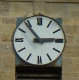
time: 2:53
